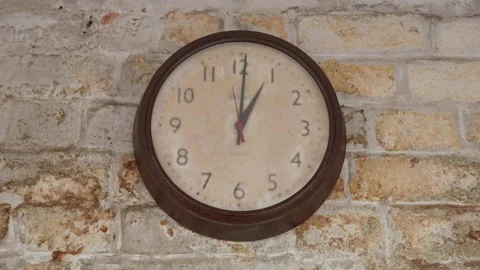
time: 1:00
